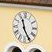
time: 11:25
